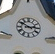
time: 2:50
